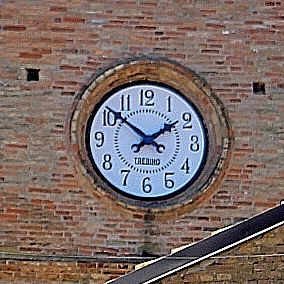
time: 1:51
